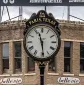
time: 11:28
